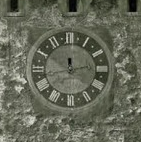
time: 11:42
